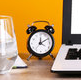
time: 12:10
